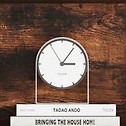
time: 3:06
